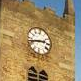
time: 2:42
